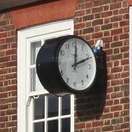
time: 12:11
